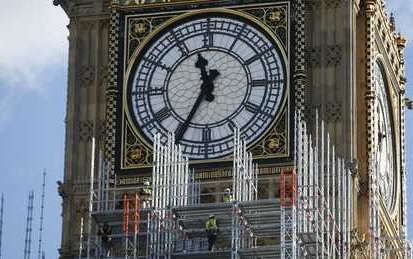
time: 11:34
